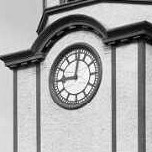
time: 9:01
